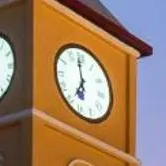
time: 6:58
